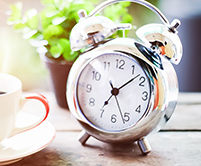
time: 7:08
